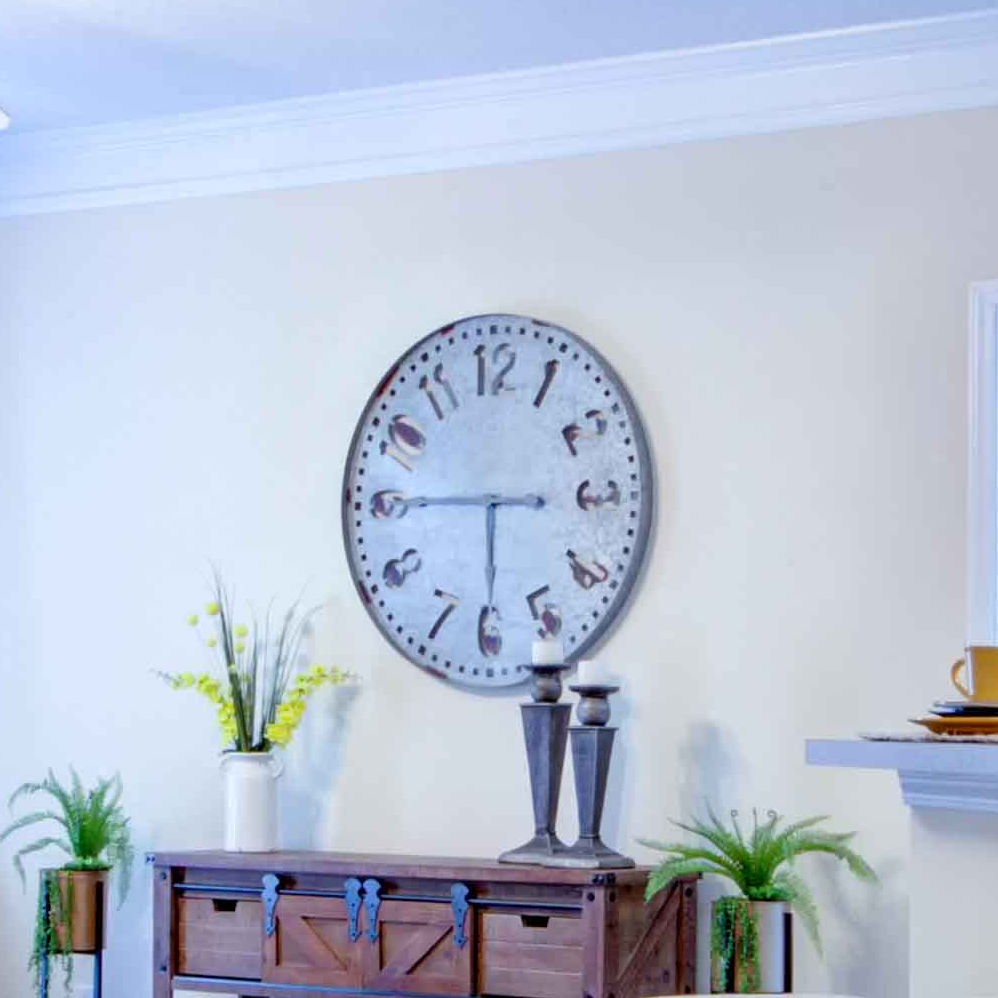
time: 5:45
